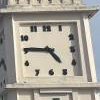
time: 4:45
